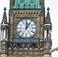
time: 12:05
